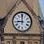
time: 9:00
